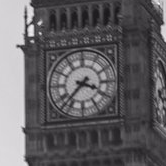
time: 3:37
